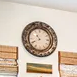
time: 10:41
